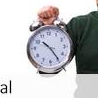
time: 10:24
